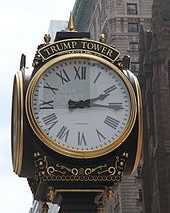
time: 2:15
